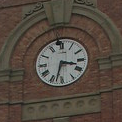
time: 3:32
